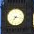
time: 7:16
